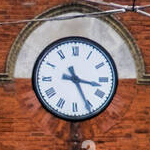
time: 3:25
